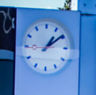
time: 1:09
